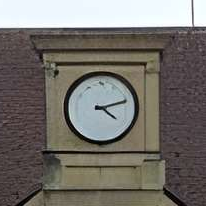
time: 4:12
